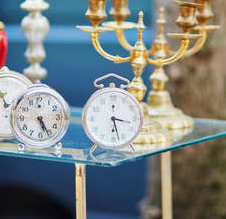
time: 3:27
